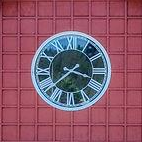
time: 3:38
